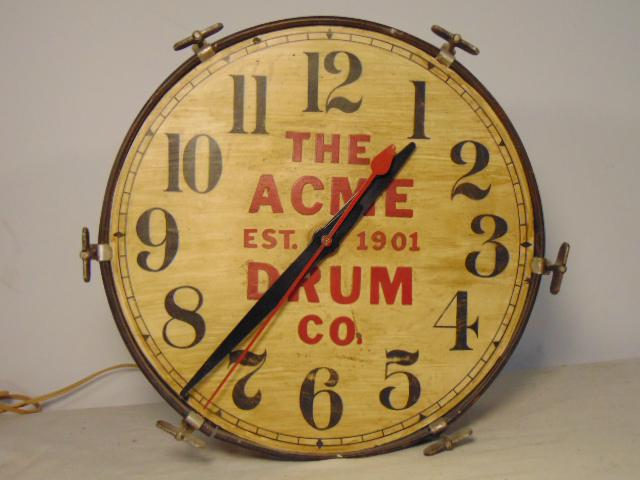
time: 1:37
